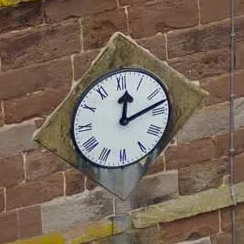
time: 12:12
